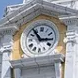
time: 2:53
